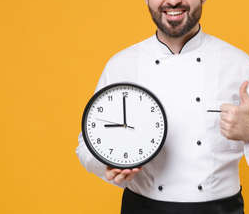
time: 8:59
